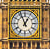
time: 12:56
